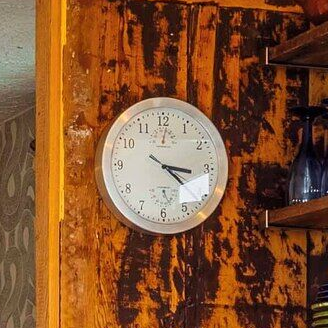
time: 3:21
